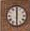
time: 6:00
